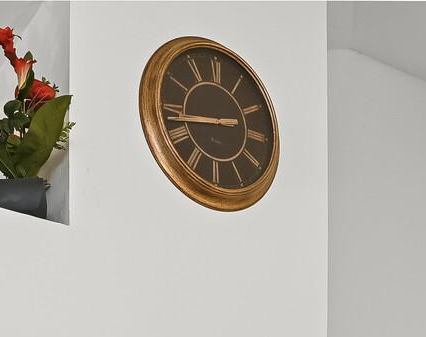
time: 8:43
